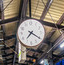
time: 7:20
